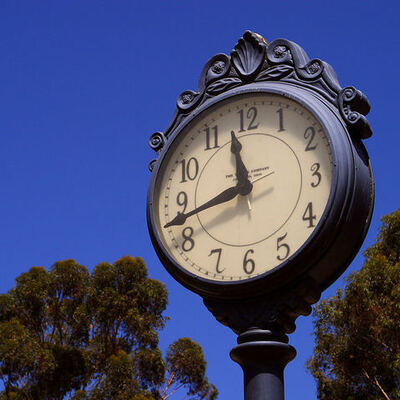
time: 11:42
